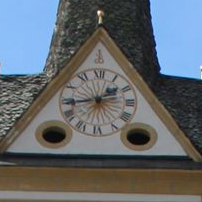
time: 1:43
